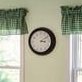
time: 3:09
